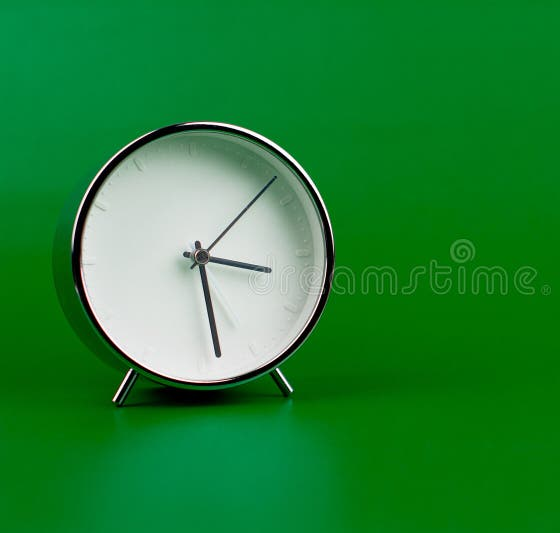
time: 3:28
